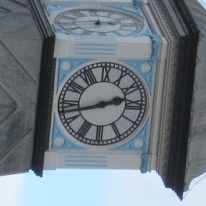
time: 2:42
